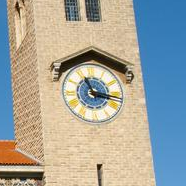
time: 11:16
